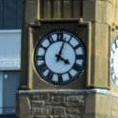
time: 4:03
